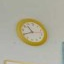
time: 10:40
